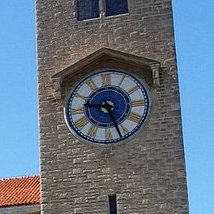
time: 9:26
